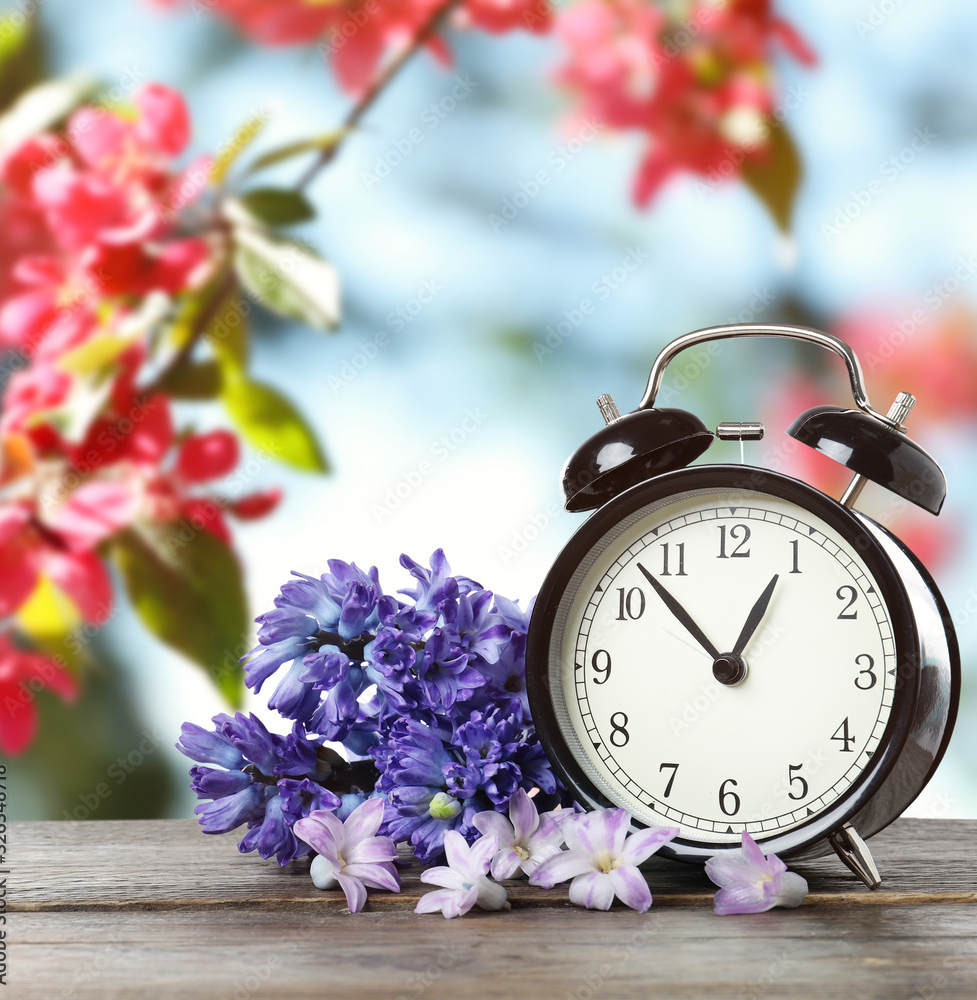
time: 12:53
